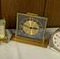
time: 2:48
